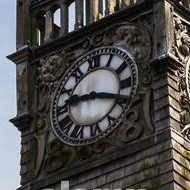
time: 9:18
